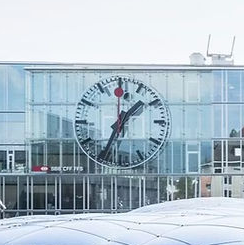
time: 1:34
